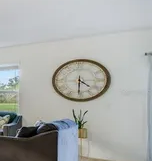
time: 4:30
